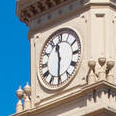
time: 11:30
